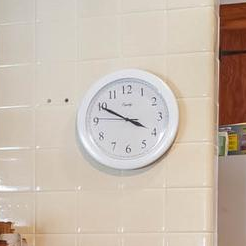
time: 3:49
